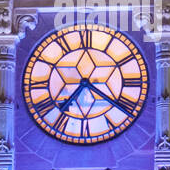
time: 7:20
